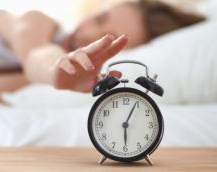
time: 6:04
